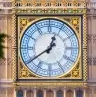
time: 12:39
